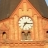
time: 7:15
